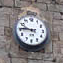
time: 9:45
